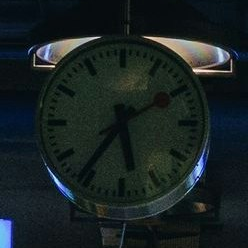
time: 5:36
